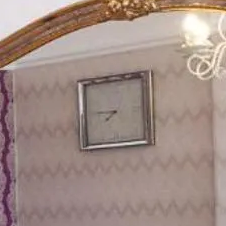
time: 7:45
